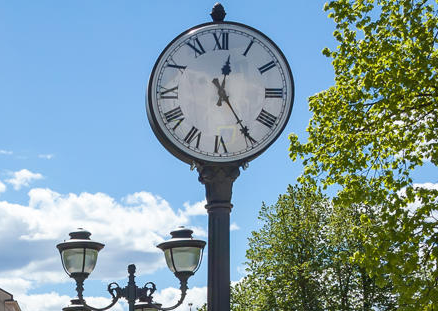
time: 12:24
